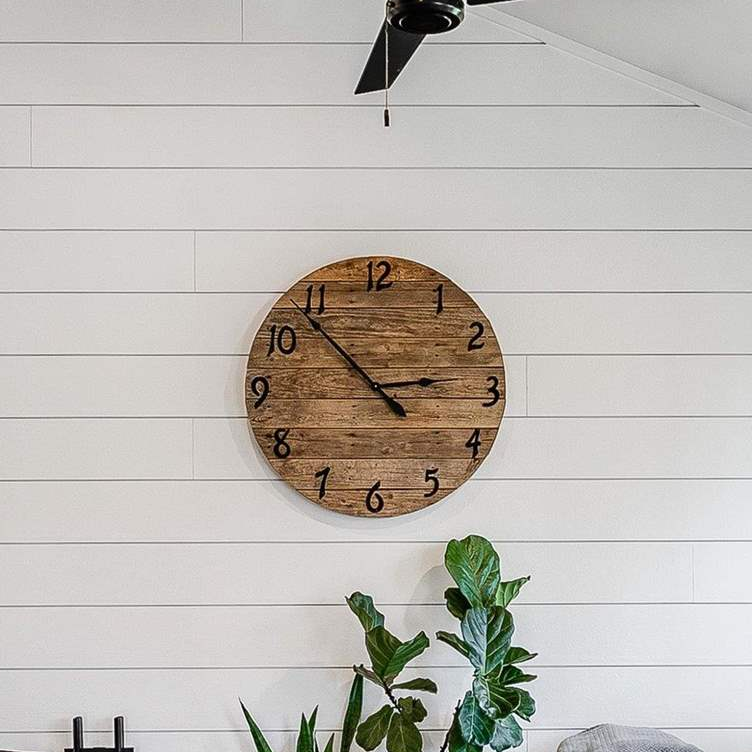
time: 2:53
